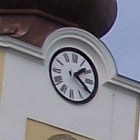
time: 1:20
